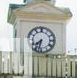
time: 7:32
